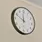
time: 11:48
